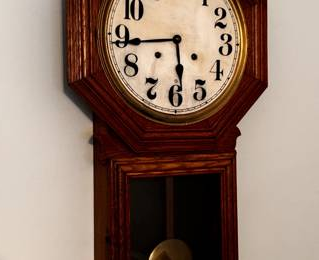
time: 5:44
